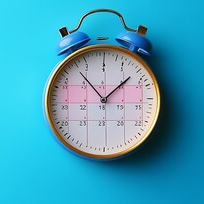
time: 1:53
